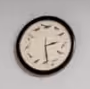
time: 2:28
